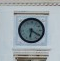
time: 6:20
